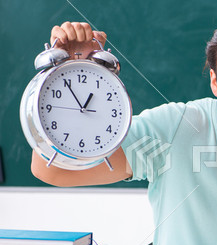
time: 12:54
